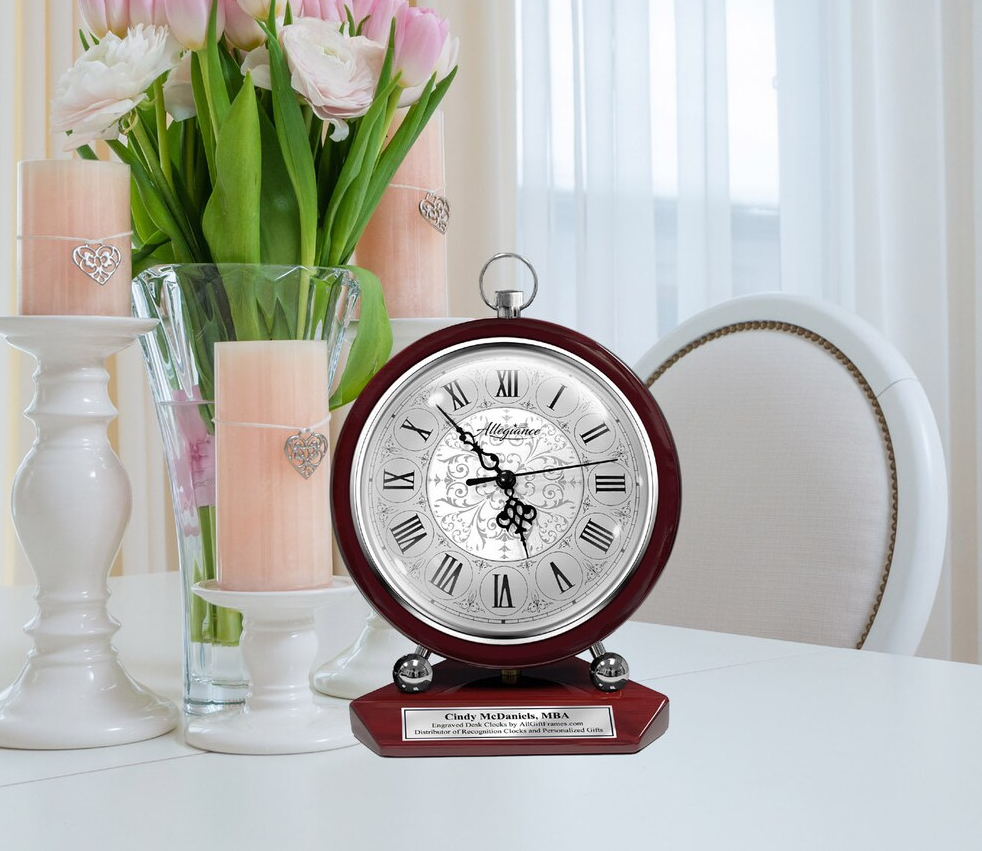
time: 4:52
